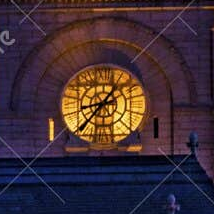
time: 8:36
